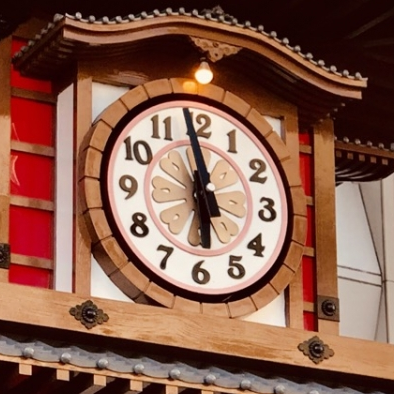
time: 5:58
